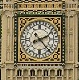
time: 2:22
